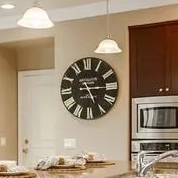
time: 5:14
